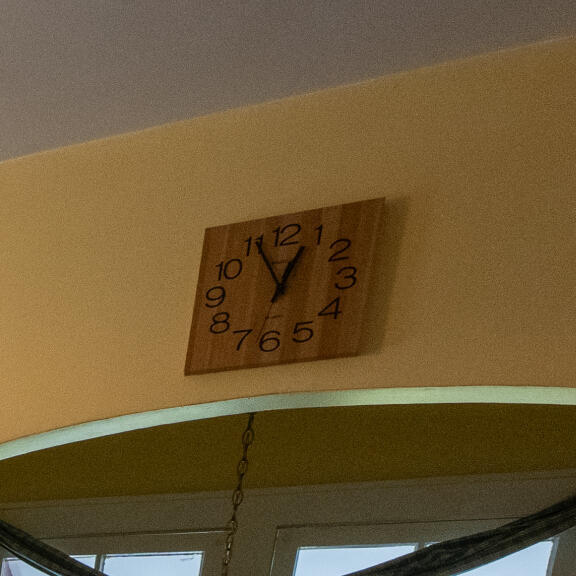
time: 12:55
